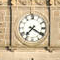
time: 7:20
